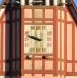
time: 9:48
